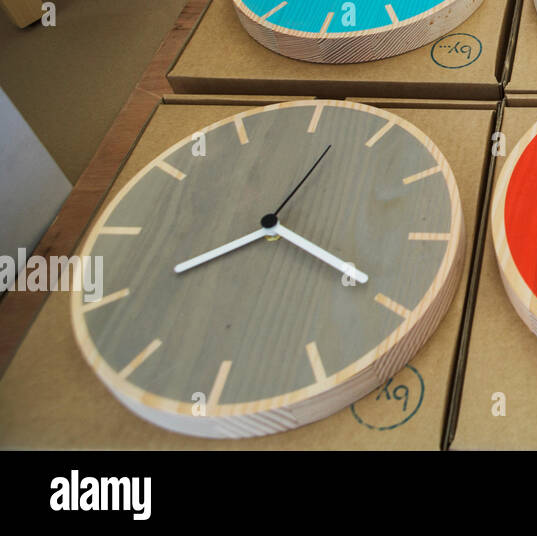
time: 12:19
